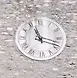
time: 11:17
